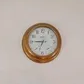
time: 6:45
